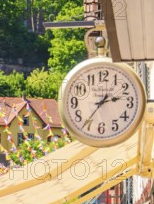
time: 2:36
